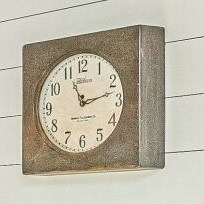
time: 11:12
